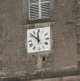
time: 11:51
